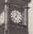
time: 12:36
